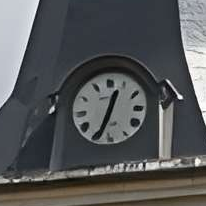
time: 12:34
